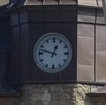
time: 12:47
